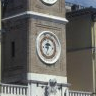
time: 8:32
